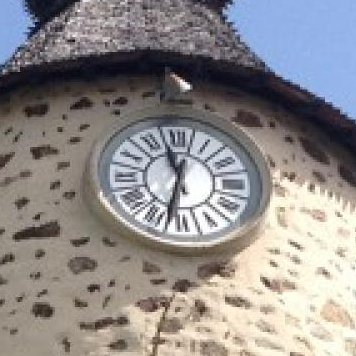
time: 11:32
